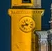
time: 10:42
